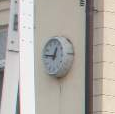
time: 12:46
